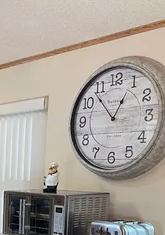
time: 12:53
